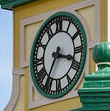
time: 3:34
